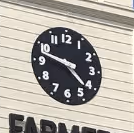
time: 9:22
